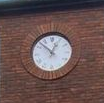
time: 12:52
